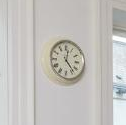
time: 12:23
